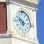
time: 5:51
